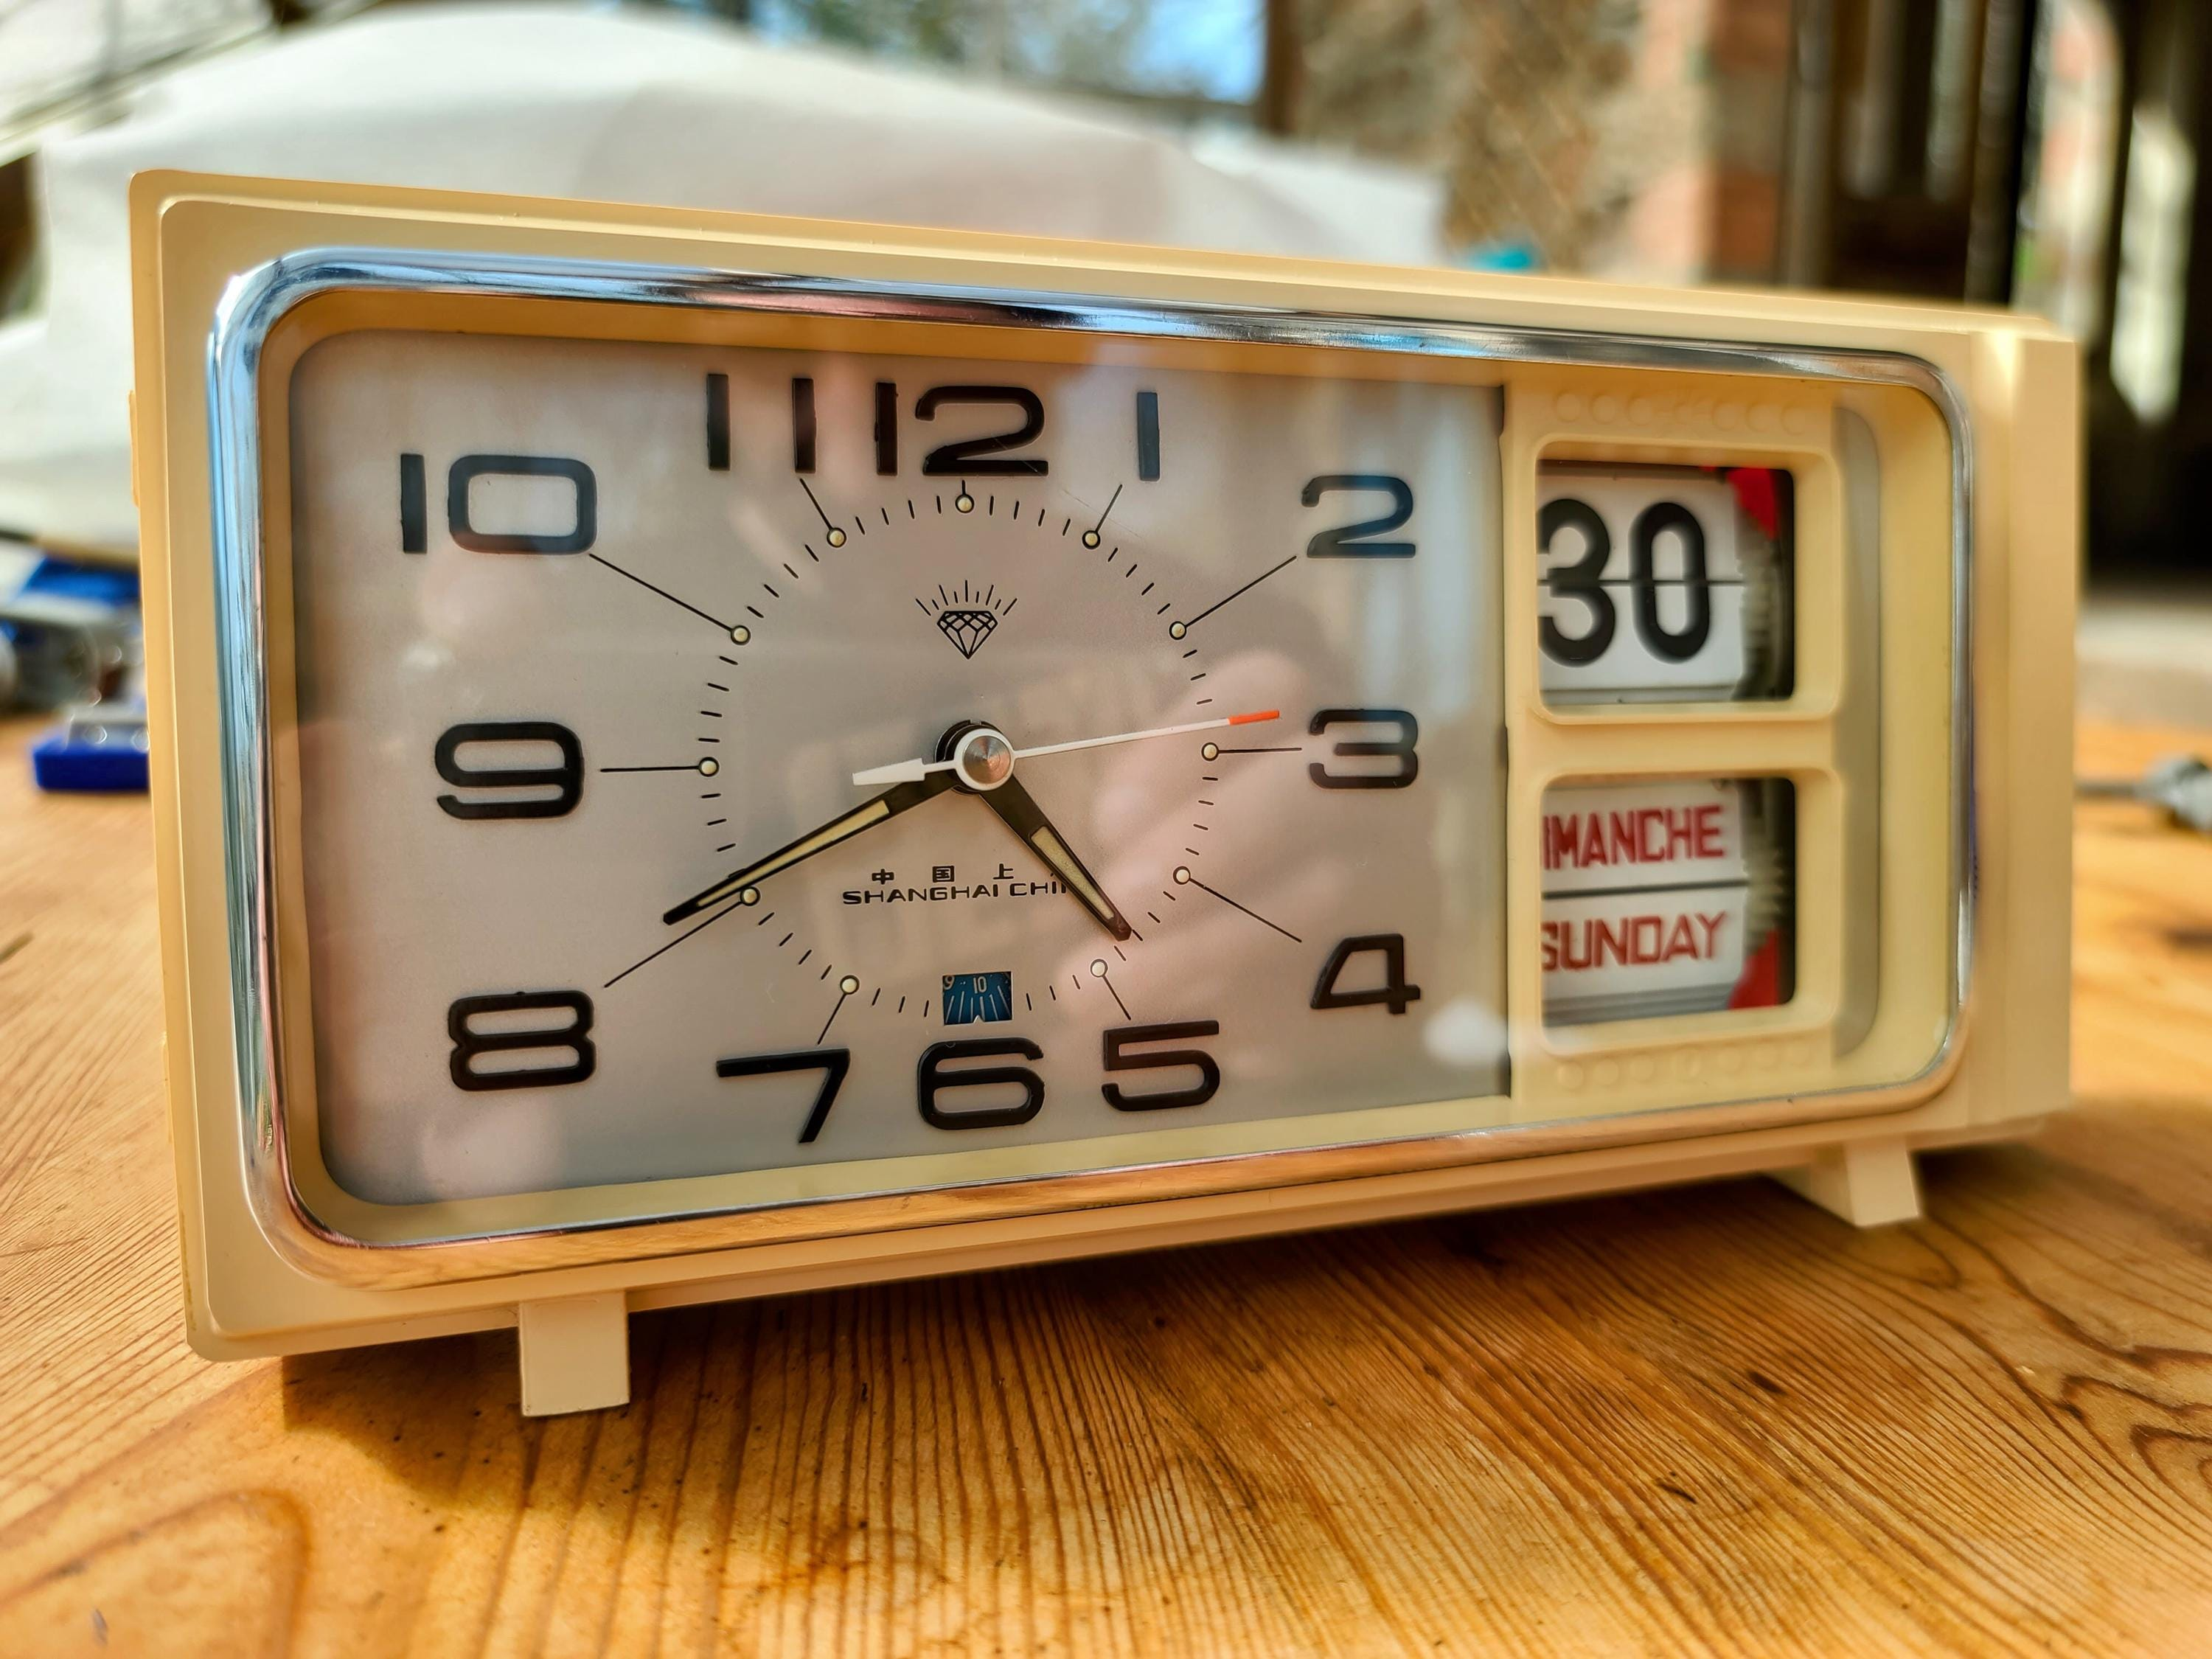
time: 4:40
